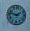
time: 1:47
